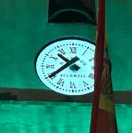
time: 10:39
